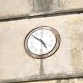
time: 4:51
